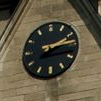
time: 2:13
